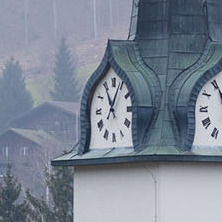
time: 11:04
